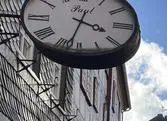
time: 3:32
